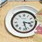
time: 3:27
